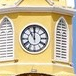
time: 10:59
